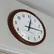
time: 12:14
